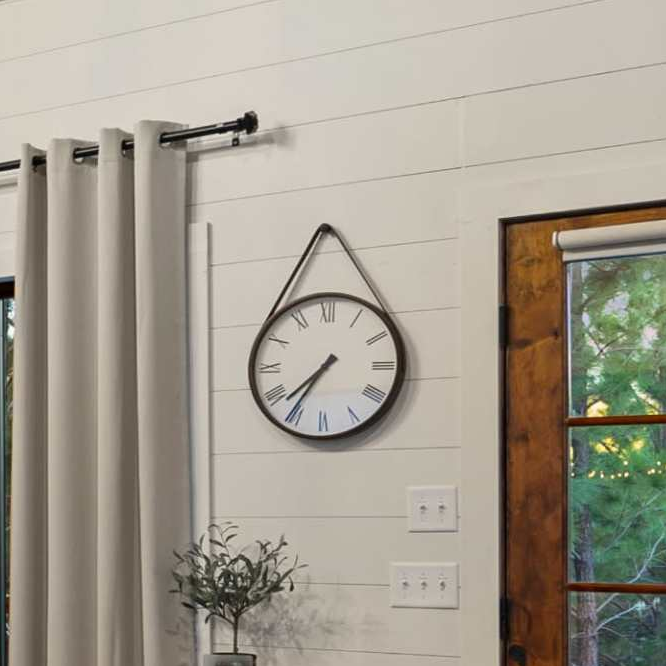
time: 7:35
